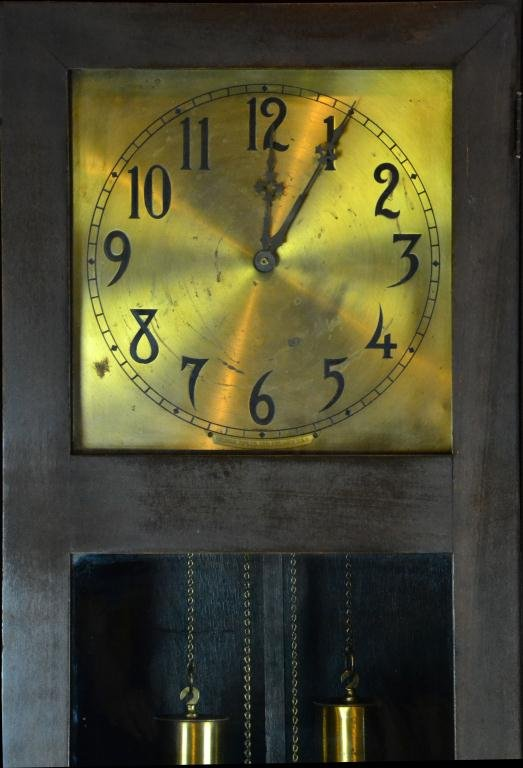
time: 12:05
